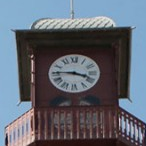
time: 3:45
